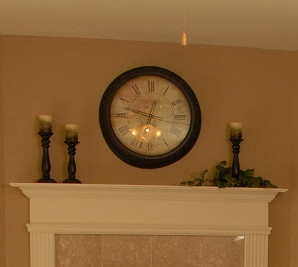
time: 12:47
